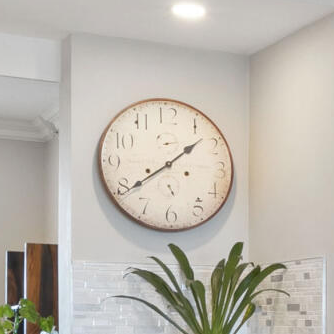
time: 1:39
